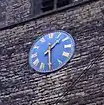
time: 1:29
